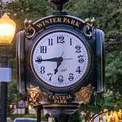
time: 6:44
